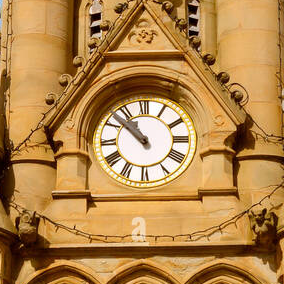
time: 10:52
